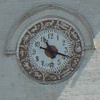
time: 11:18
